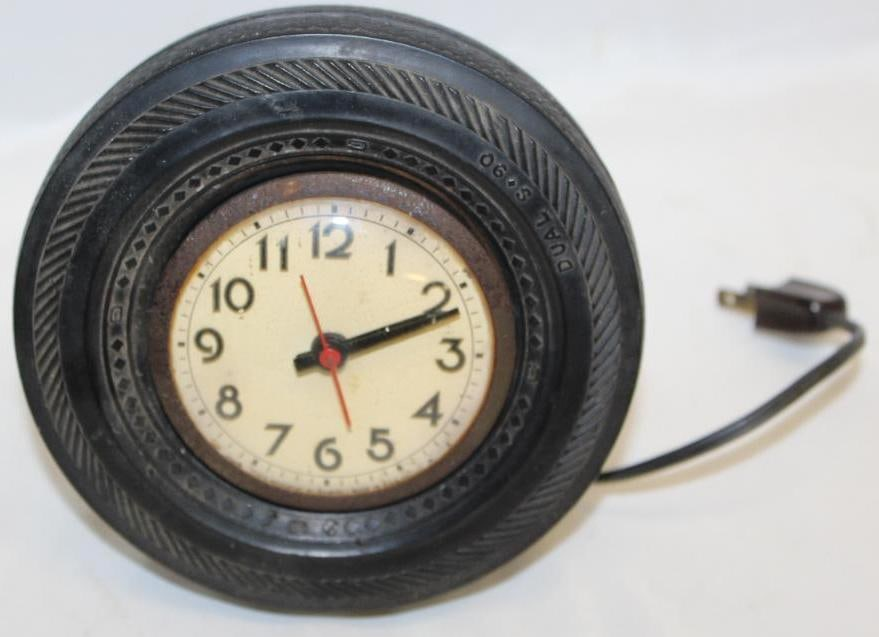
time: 2:11
